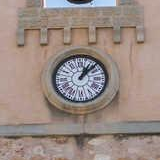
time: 1:07
